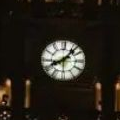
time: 8:07
